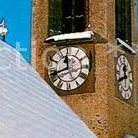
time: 11:41
